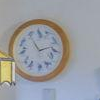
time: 11:12
